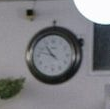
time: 10:47
